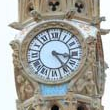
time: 3:24
